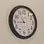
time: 10:44
